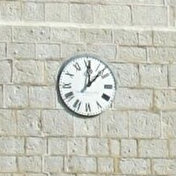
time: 12:07
